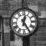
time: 12:24
